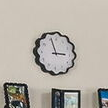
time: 2:58
